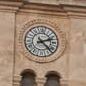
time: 2:22
